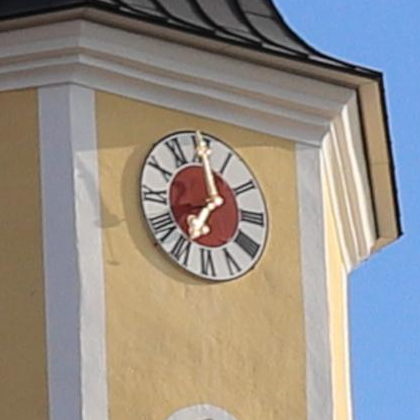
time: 6:59
